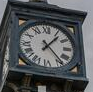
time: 1:23
